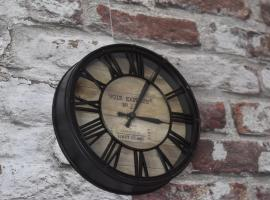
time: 3:04
